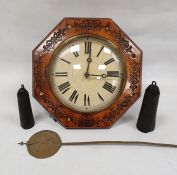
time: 3:01
